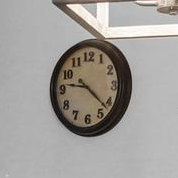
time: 9:21
